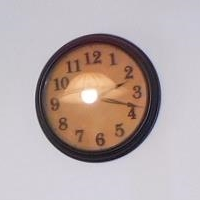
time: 2:18
